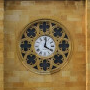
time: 4:01
